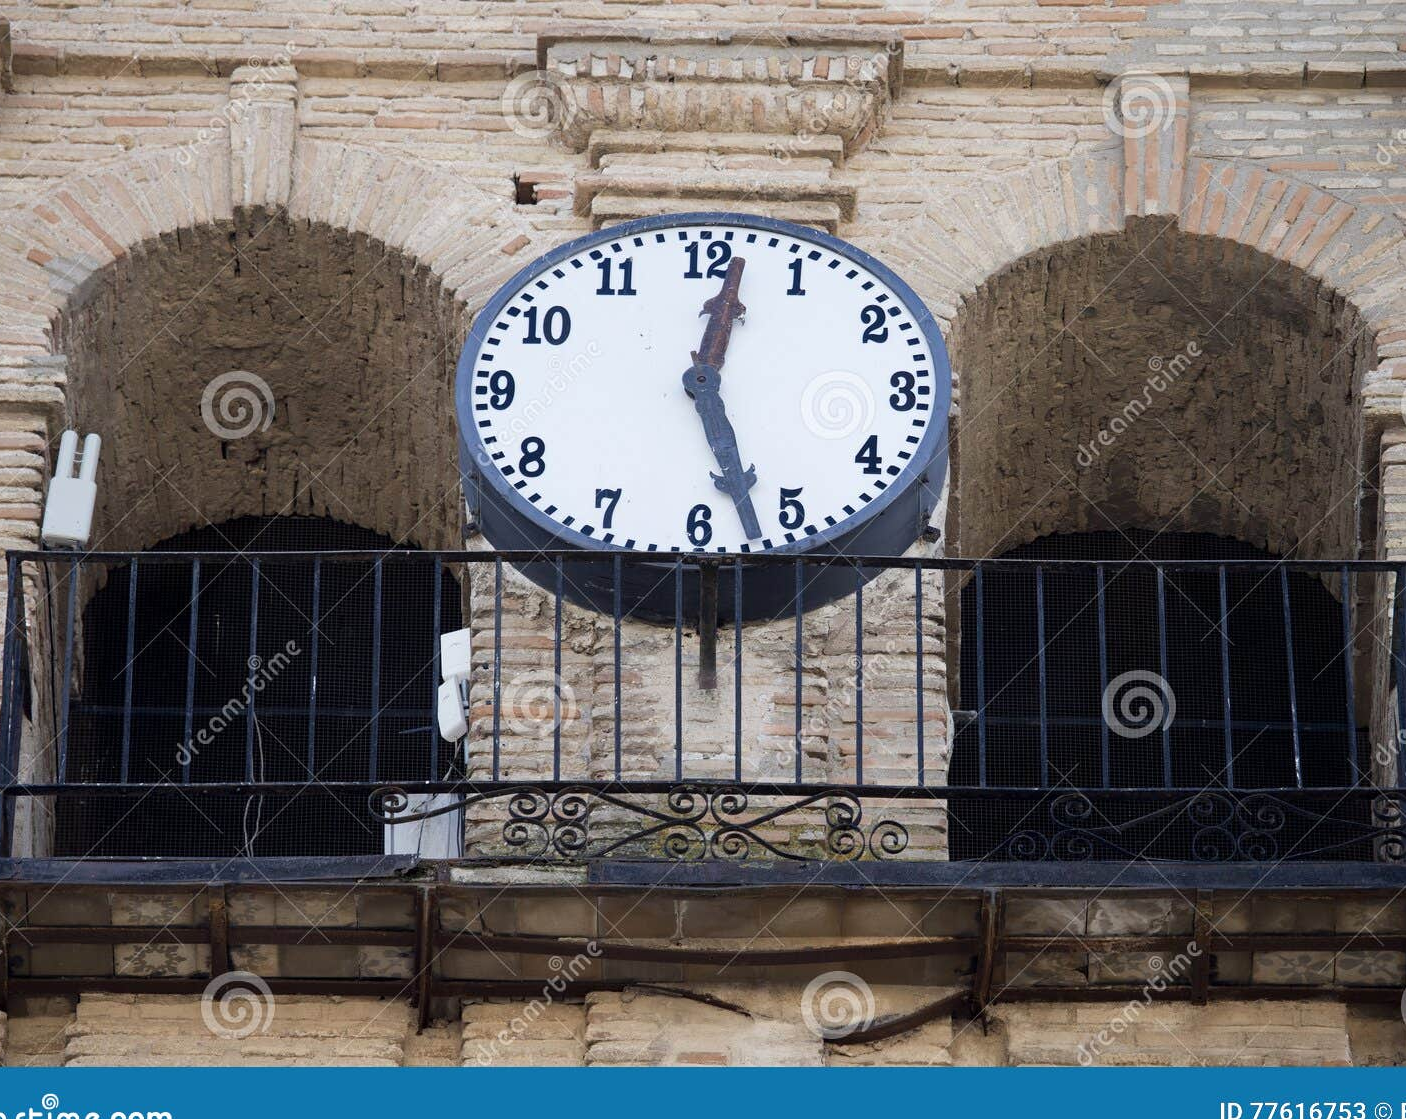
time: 12:27
